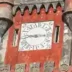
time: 9:15
